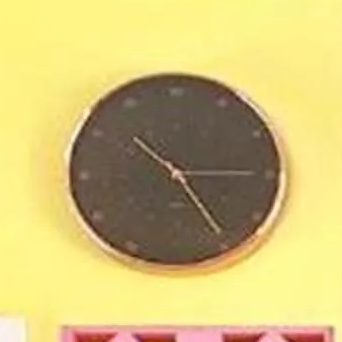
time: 10:24
